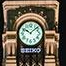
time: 10:07
